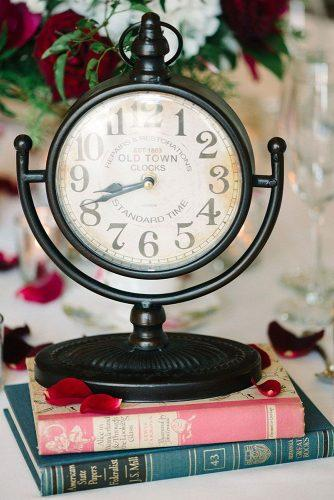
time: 8:41
